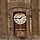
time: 1:45
